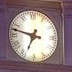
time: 6:47
